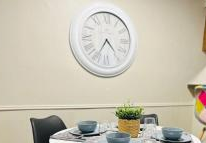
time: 4:35
